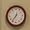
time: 12:36
